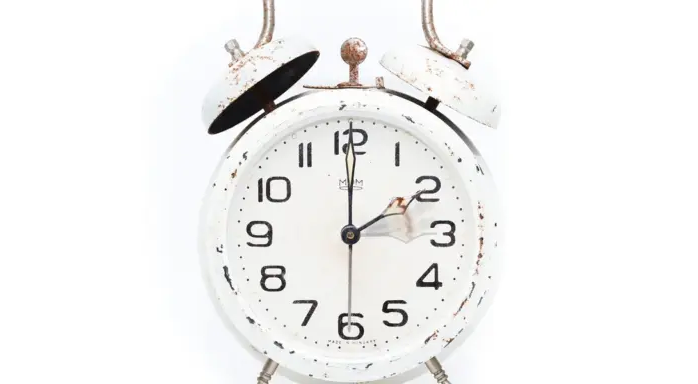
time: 2:00
